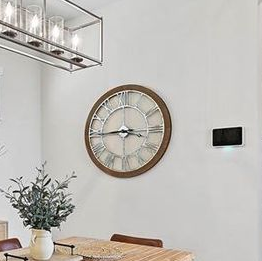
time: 3:44
